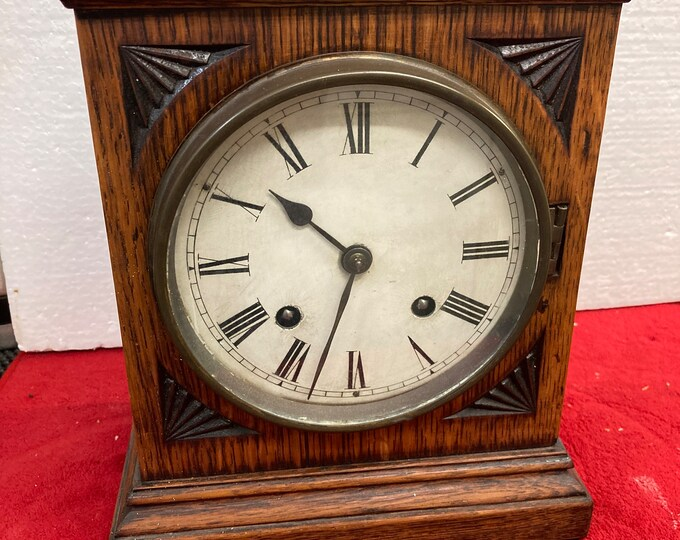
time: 10:33
